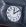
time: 12:09
